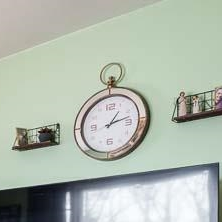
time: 1:12
